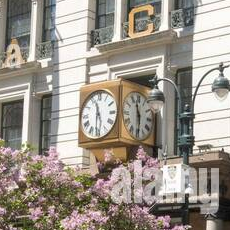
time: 11:30
